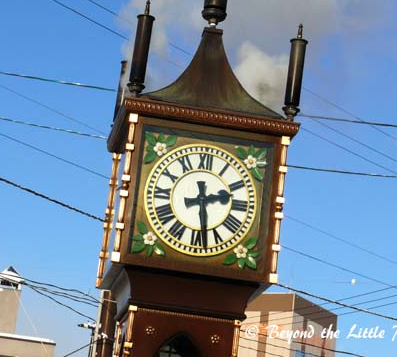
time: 2:28
